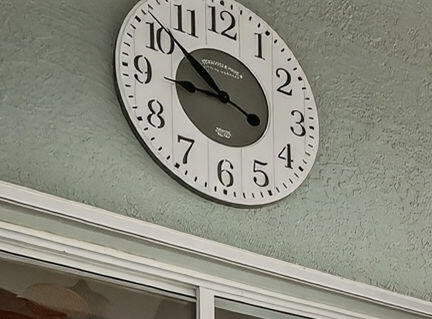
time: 8:51
